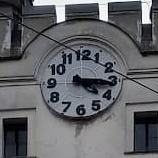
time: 4:15
